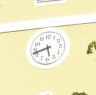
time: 5:42
